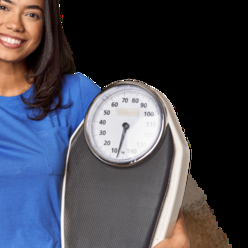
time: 6:32
